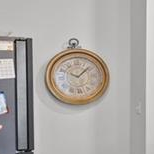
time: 10:07
